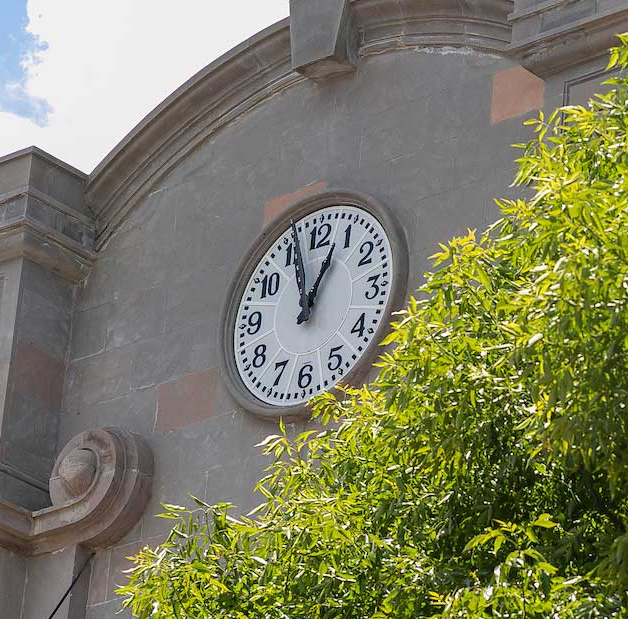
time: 12:56
